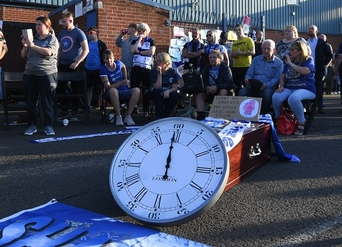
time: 11:59
